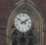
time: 1:50
